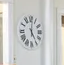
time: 5:01
